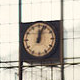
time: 12:03
